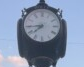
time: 7:44
